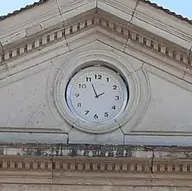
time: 1:55
